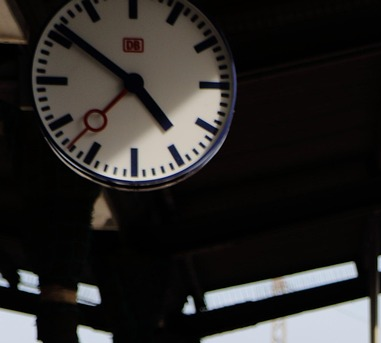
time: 4:51
